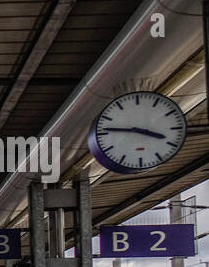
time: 3:46
